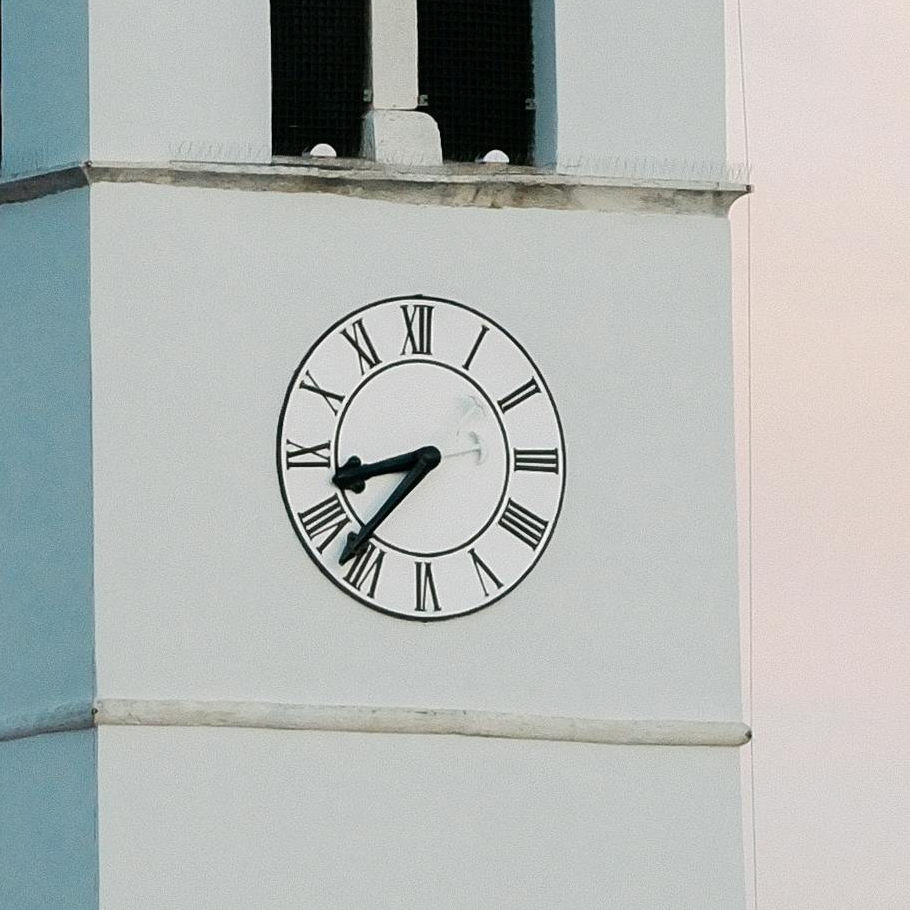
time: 8:37
